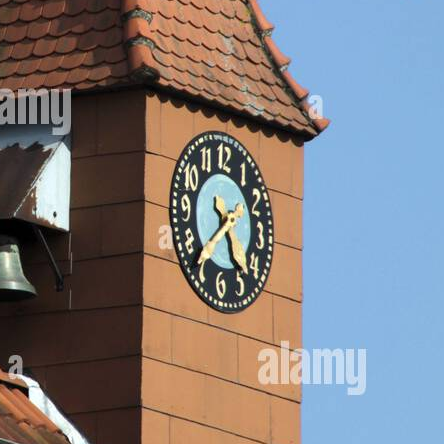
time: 4:37
